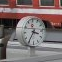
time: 3:35
